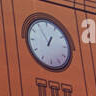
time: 12:54
